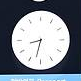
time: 8:32
